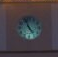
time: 4:56
